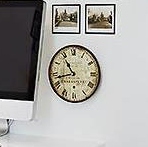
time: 10:43
